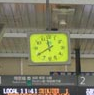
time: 11:39
